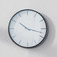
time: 10:17
